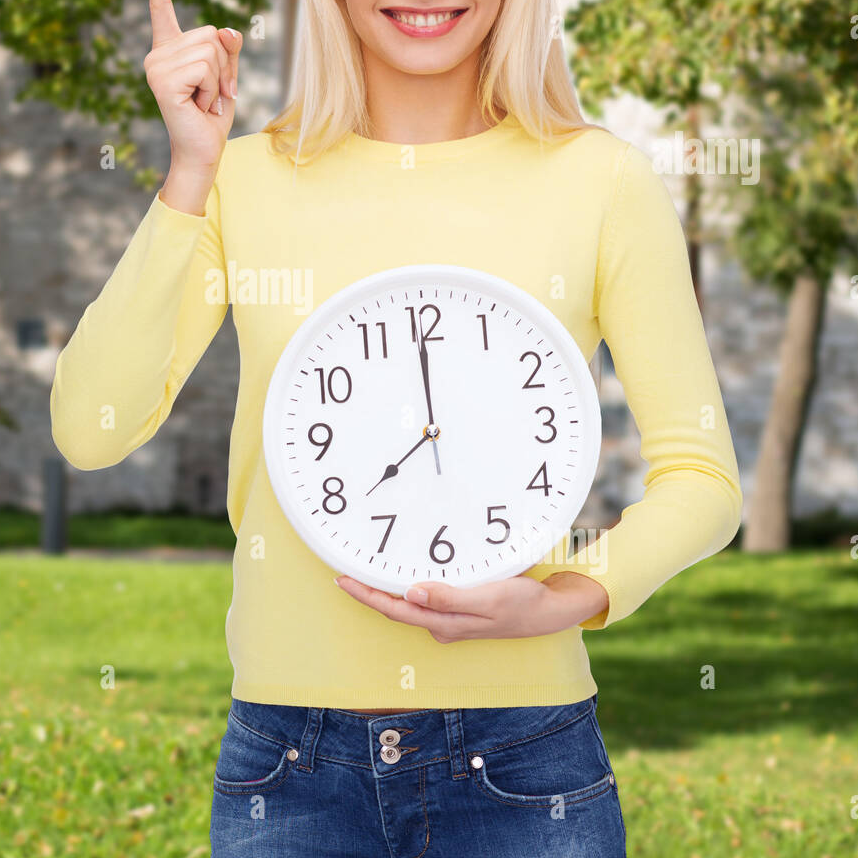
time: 11:59
